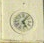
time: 5:06
